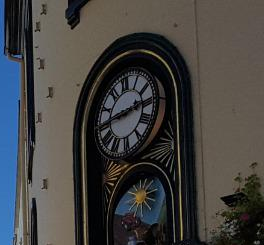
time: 2:44
